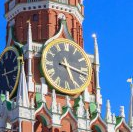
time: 5:17
